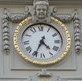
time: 4:34
